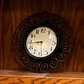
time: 8:43
